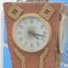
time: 4:17
